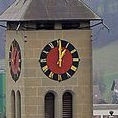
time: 1:00
